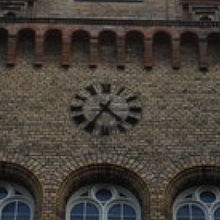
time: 4:35
